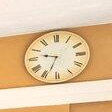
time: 9:33
